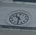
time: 10:31
